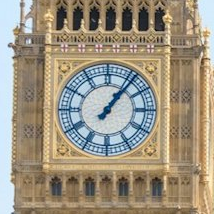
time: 1:06
